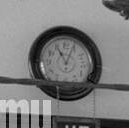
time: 11:04
